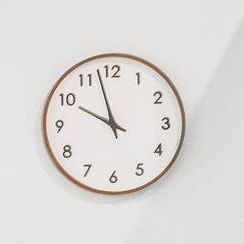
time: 9:57
